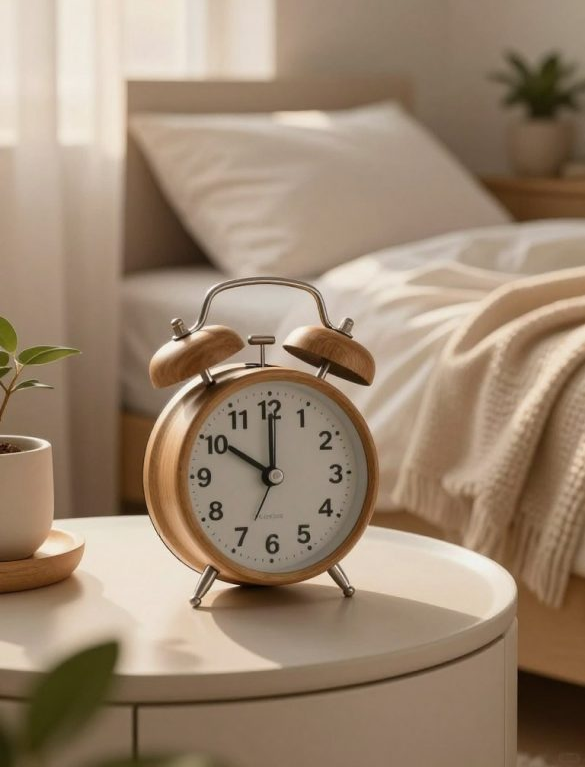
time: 10:00
